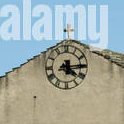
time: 4:14
